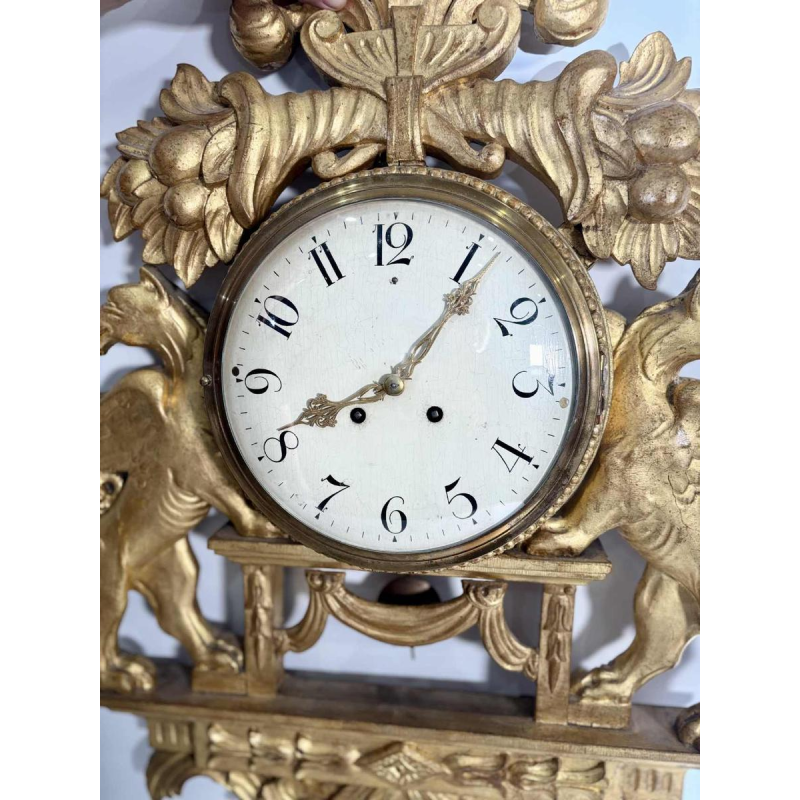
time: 8:06
